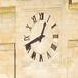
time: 12:41
